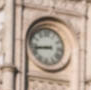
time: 8:43
